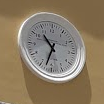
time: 10:32
